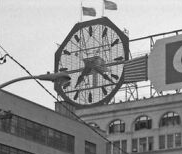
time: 7:21
